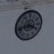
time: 3:42
